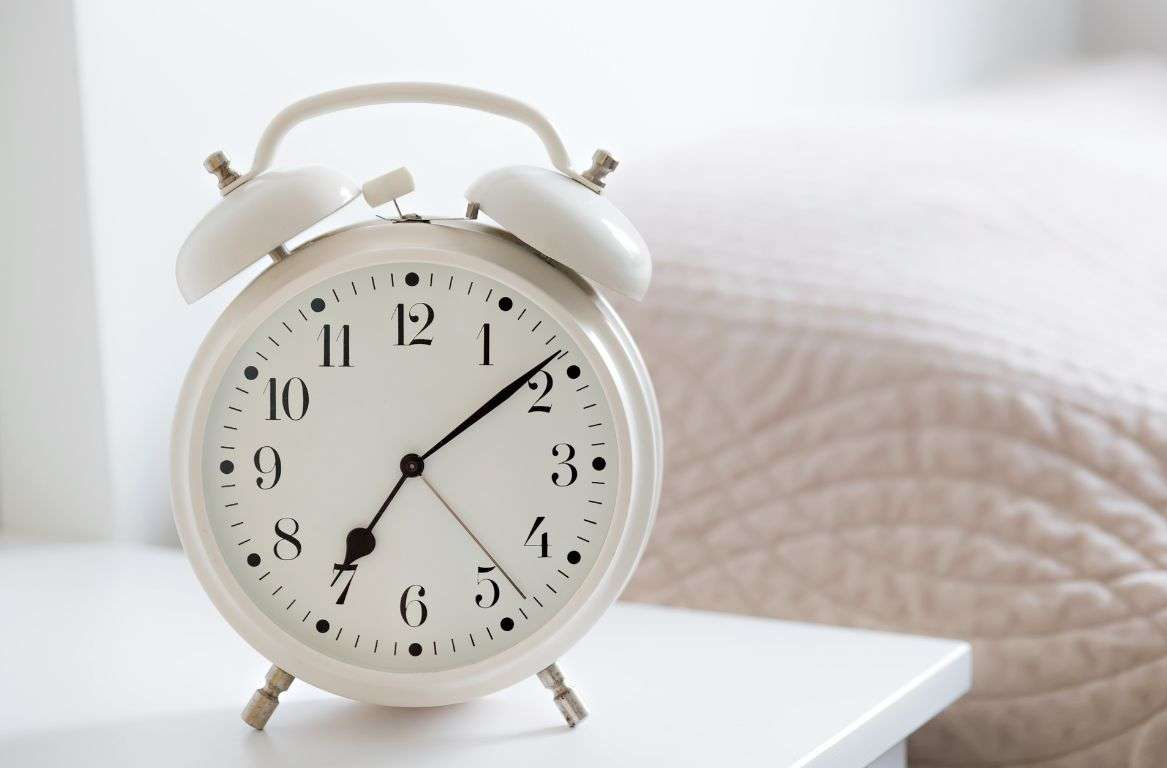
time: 7:08
